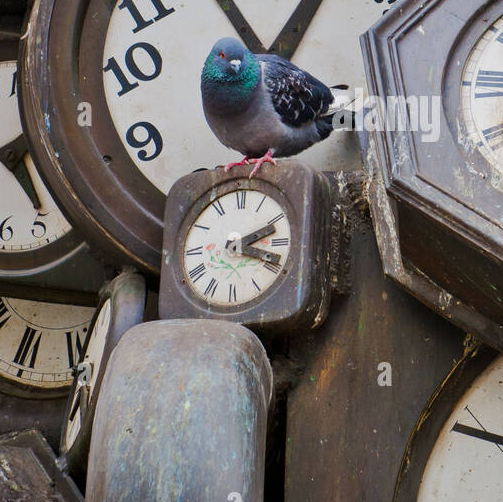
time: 2:18
